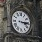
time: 3:14
